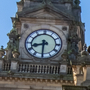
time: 8:30
